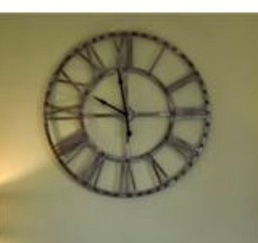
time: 9:58
